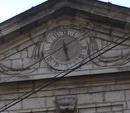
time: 5:40
